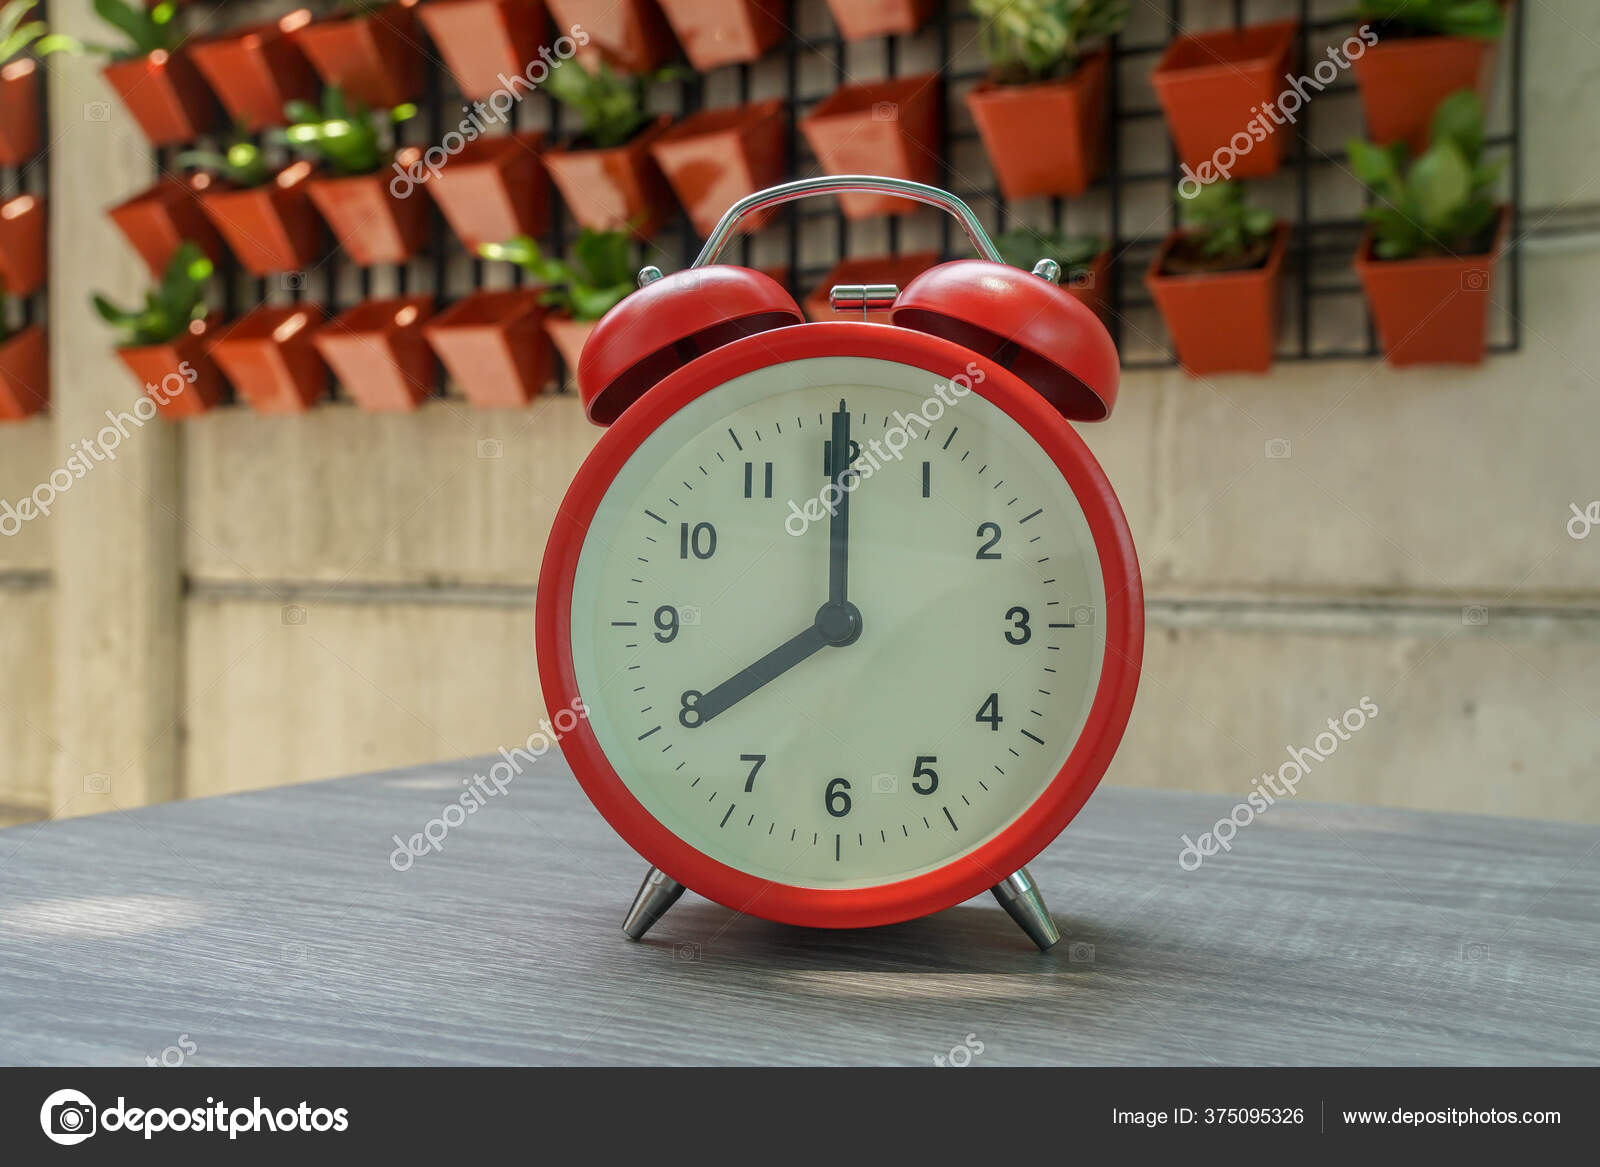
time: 8:00
